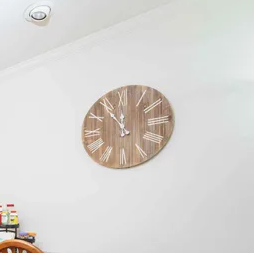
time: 11:54
